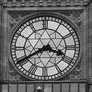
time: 3:40
